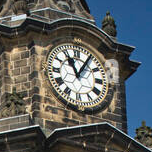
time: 11:05
